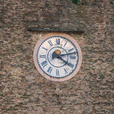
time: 4:12
